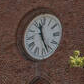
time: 11:26
